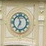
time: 6:57
